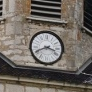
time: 3:40
